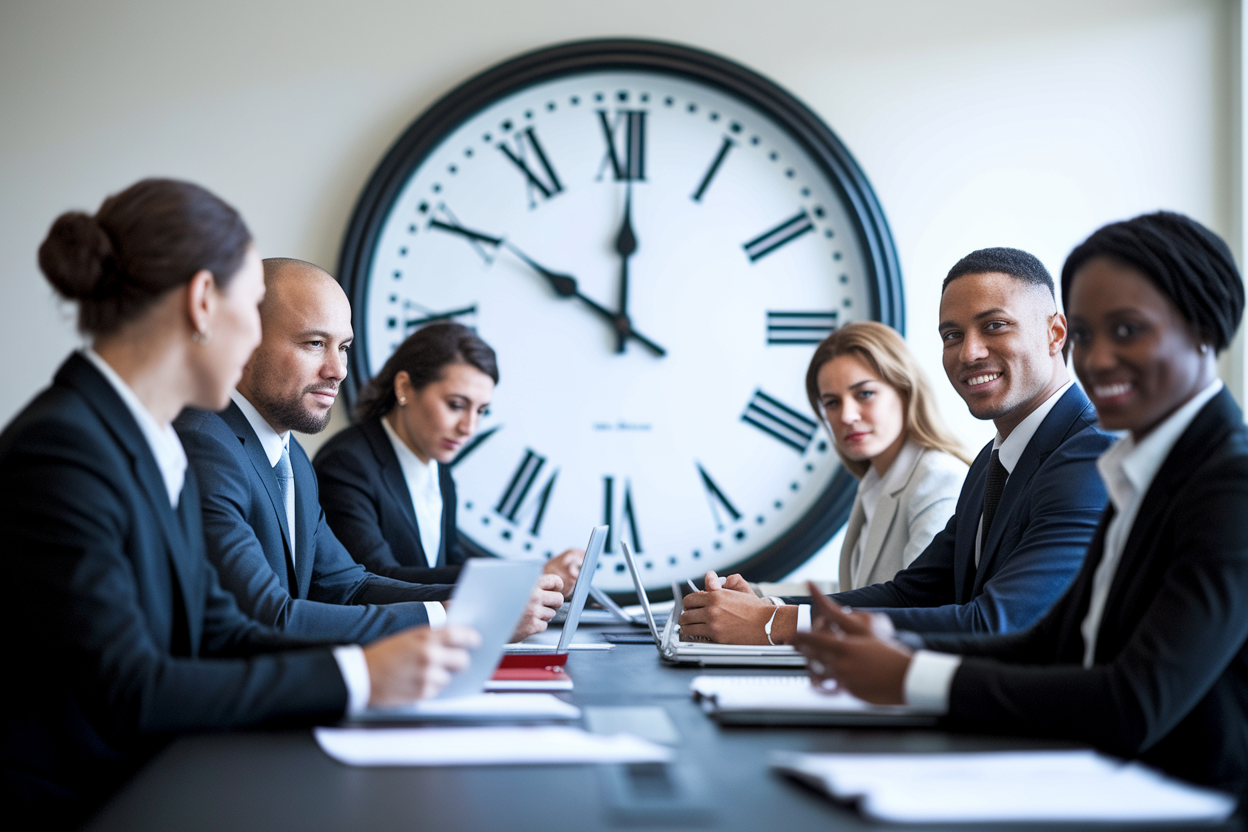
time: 10:00
